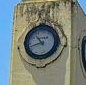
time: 10:42
